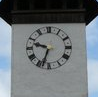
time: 9:33
